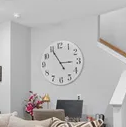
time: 2:54
